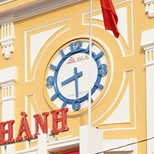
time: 8:29
